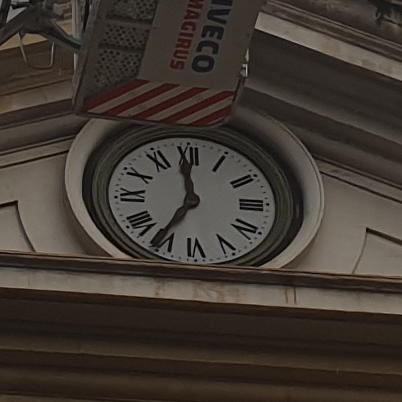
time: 11:35
